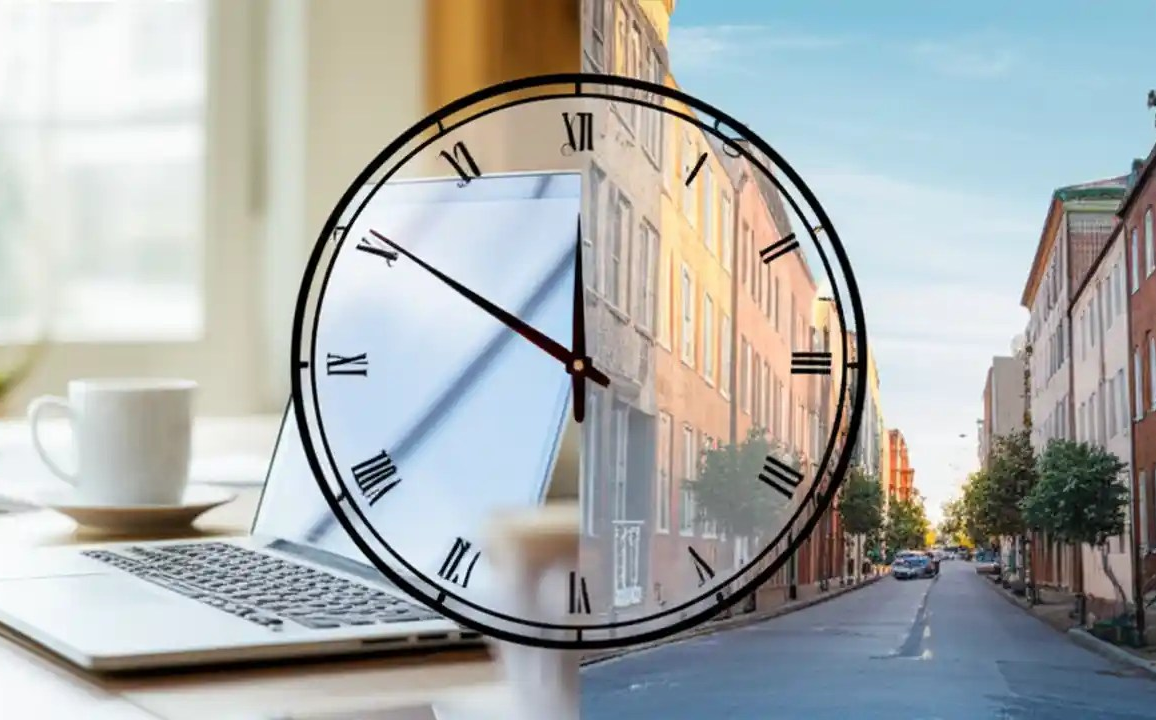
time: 11:50
